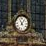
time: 11:06
